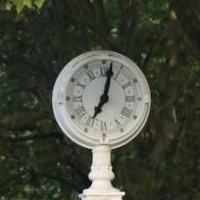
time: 7:02
